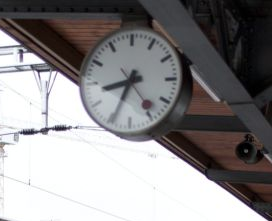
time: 8:34
